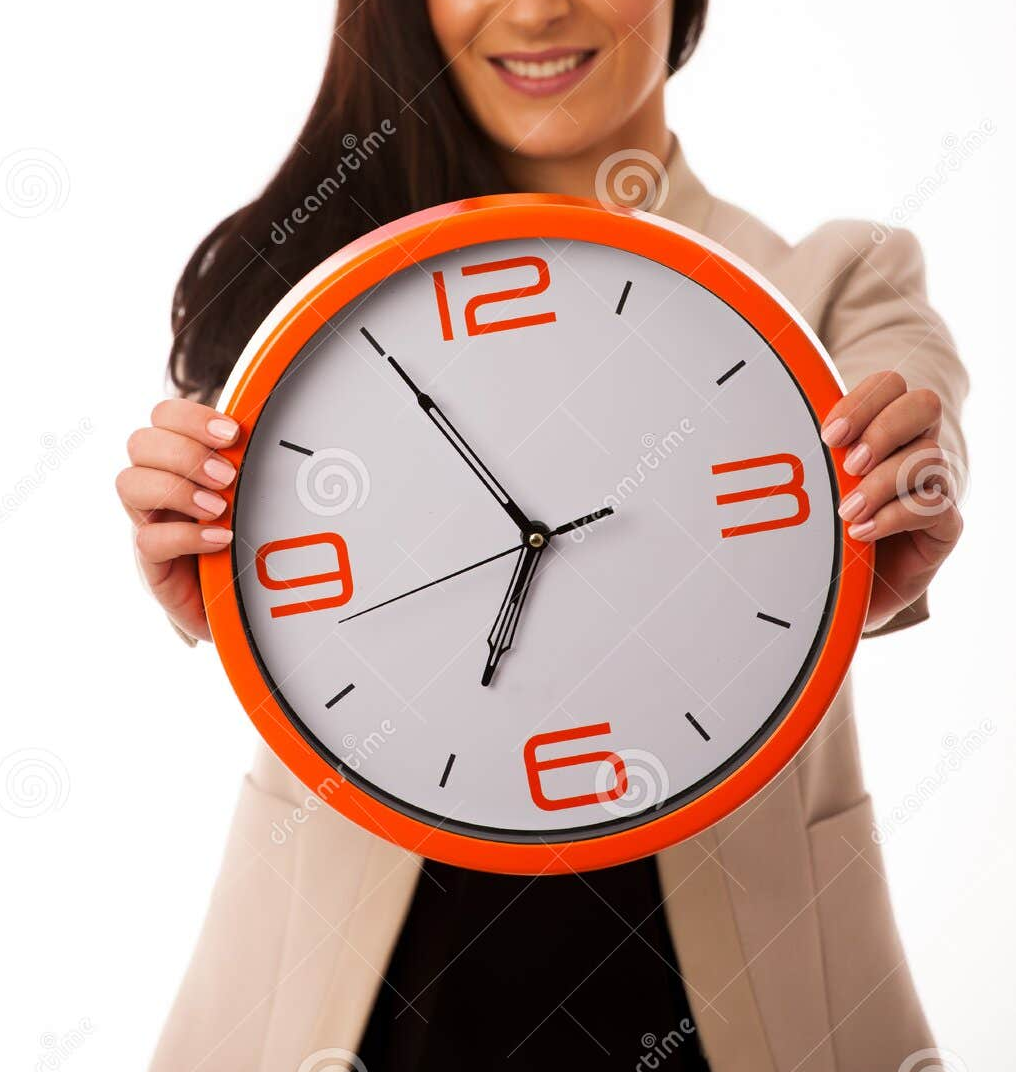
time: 6:55
